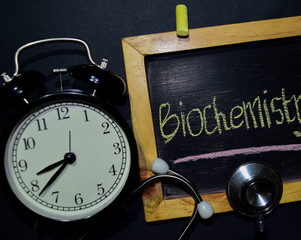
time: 8:38
